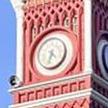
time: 4:33
